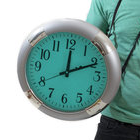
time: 12:10
